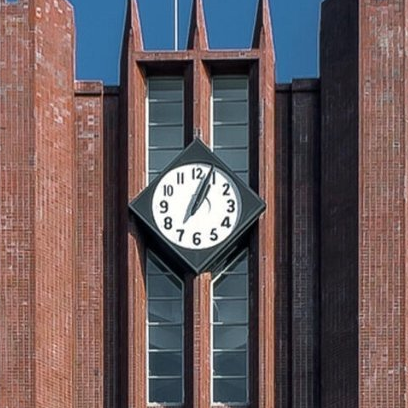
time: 1:04
